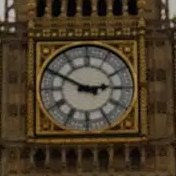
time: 2:49
